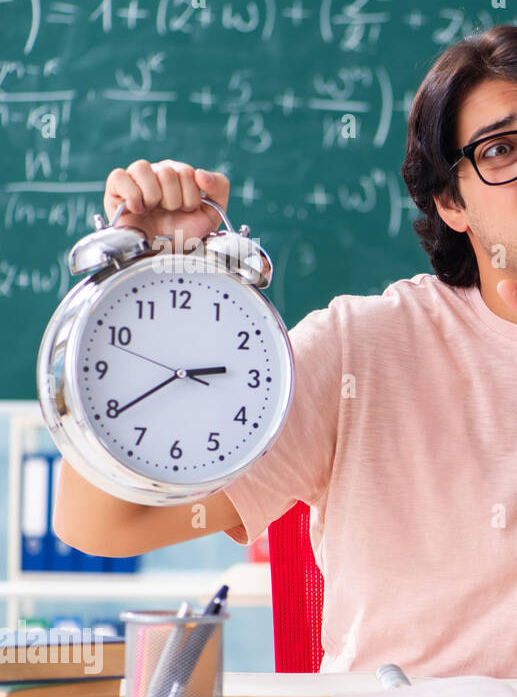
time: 2:39
